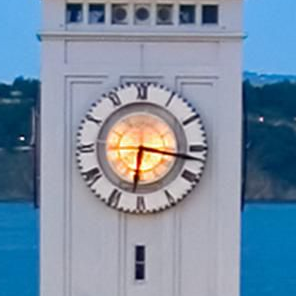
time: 6:16
